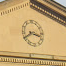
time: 3:40
